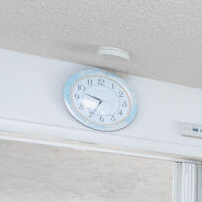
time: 9:34
